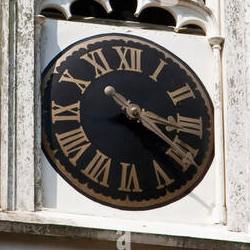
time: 3:20
